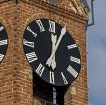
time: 12:04
